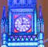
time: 12:14
